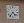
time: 4:35
